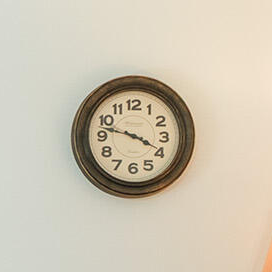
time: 3:47
